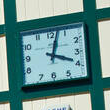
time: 4:02
